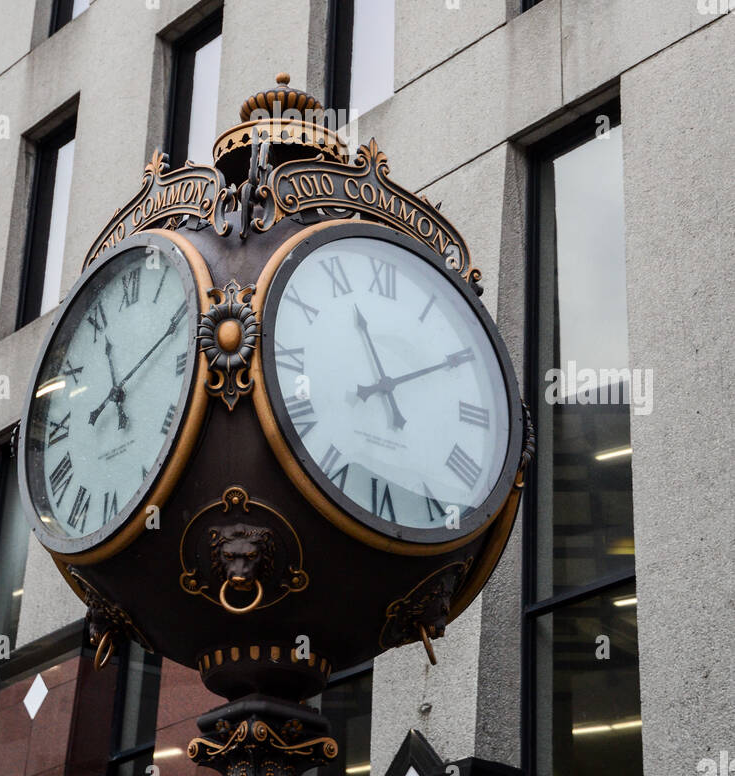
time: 11:10
